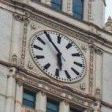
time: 5:54
